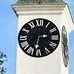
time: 2:33
